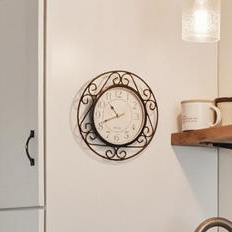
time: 10:41
